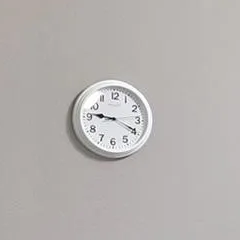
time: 9:19
